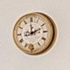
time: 12:11
